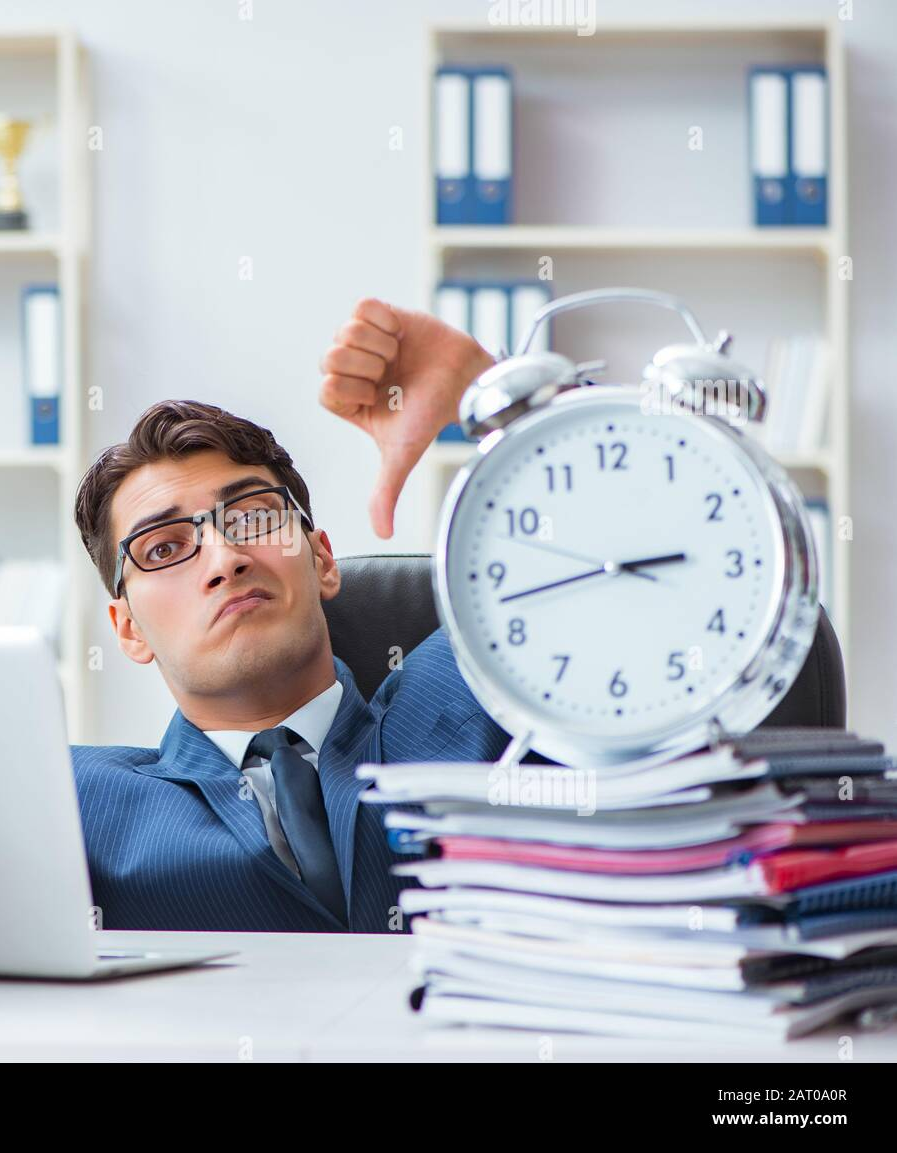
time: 2:42
